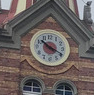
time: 10:19
